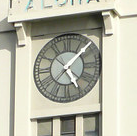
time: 5:07
